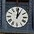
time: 1:01
